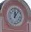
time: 12:06
